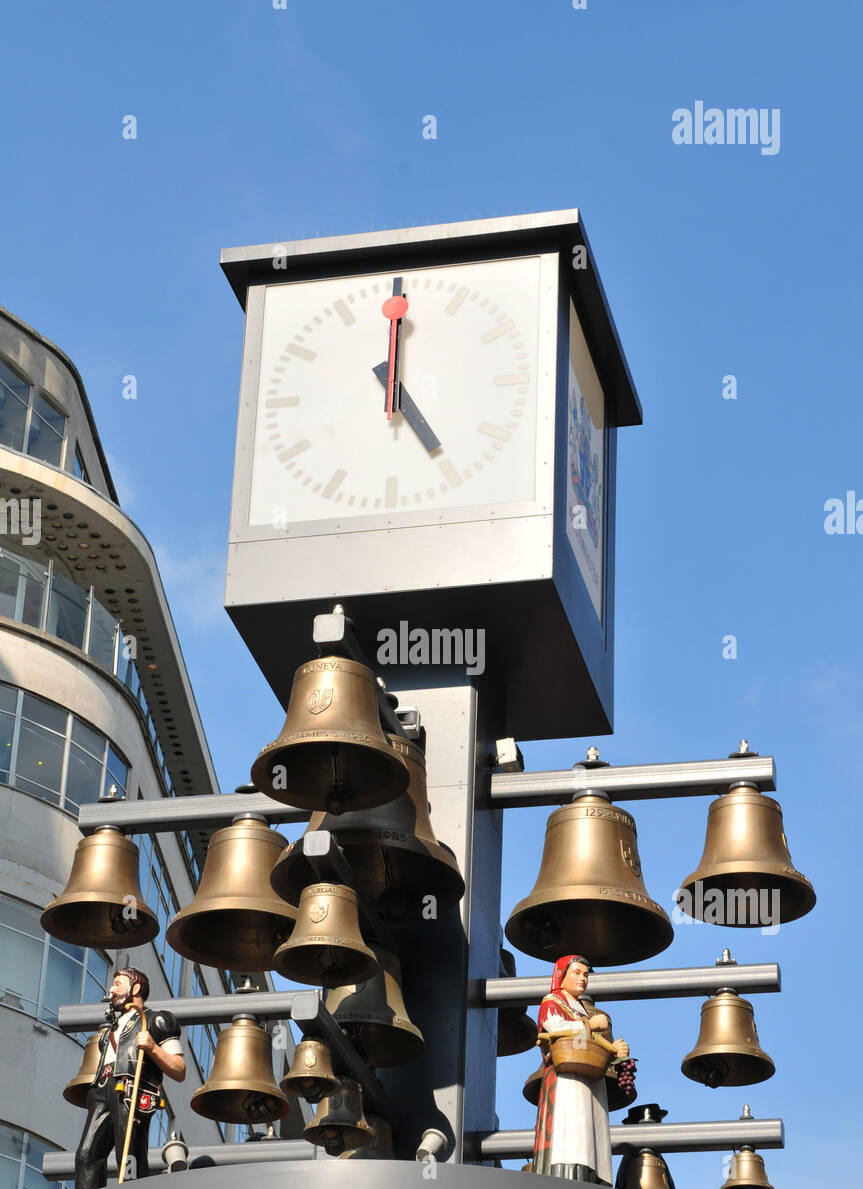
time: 5:00
